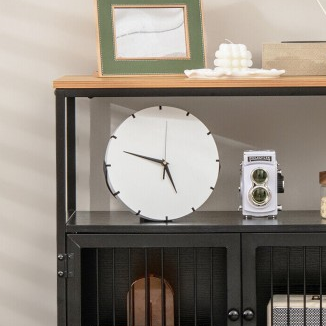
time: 9:26
